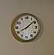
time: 8:08
